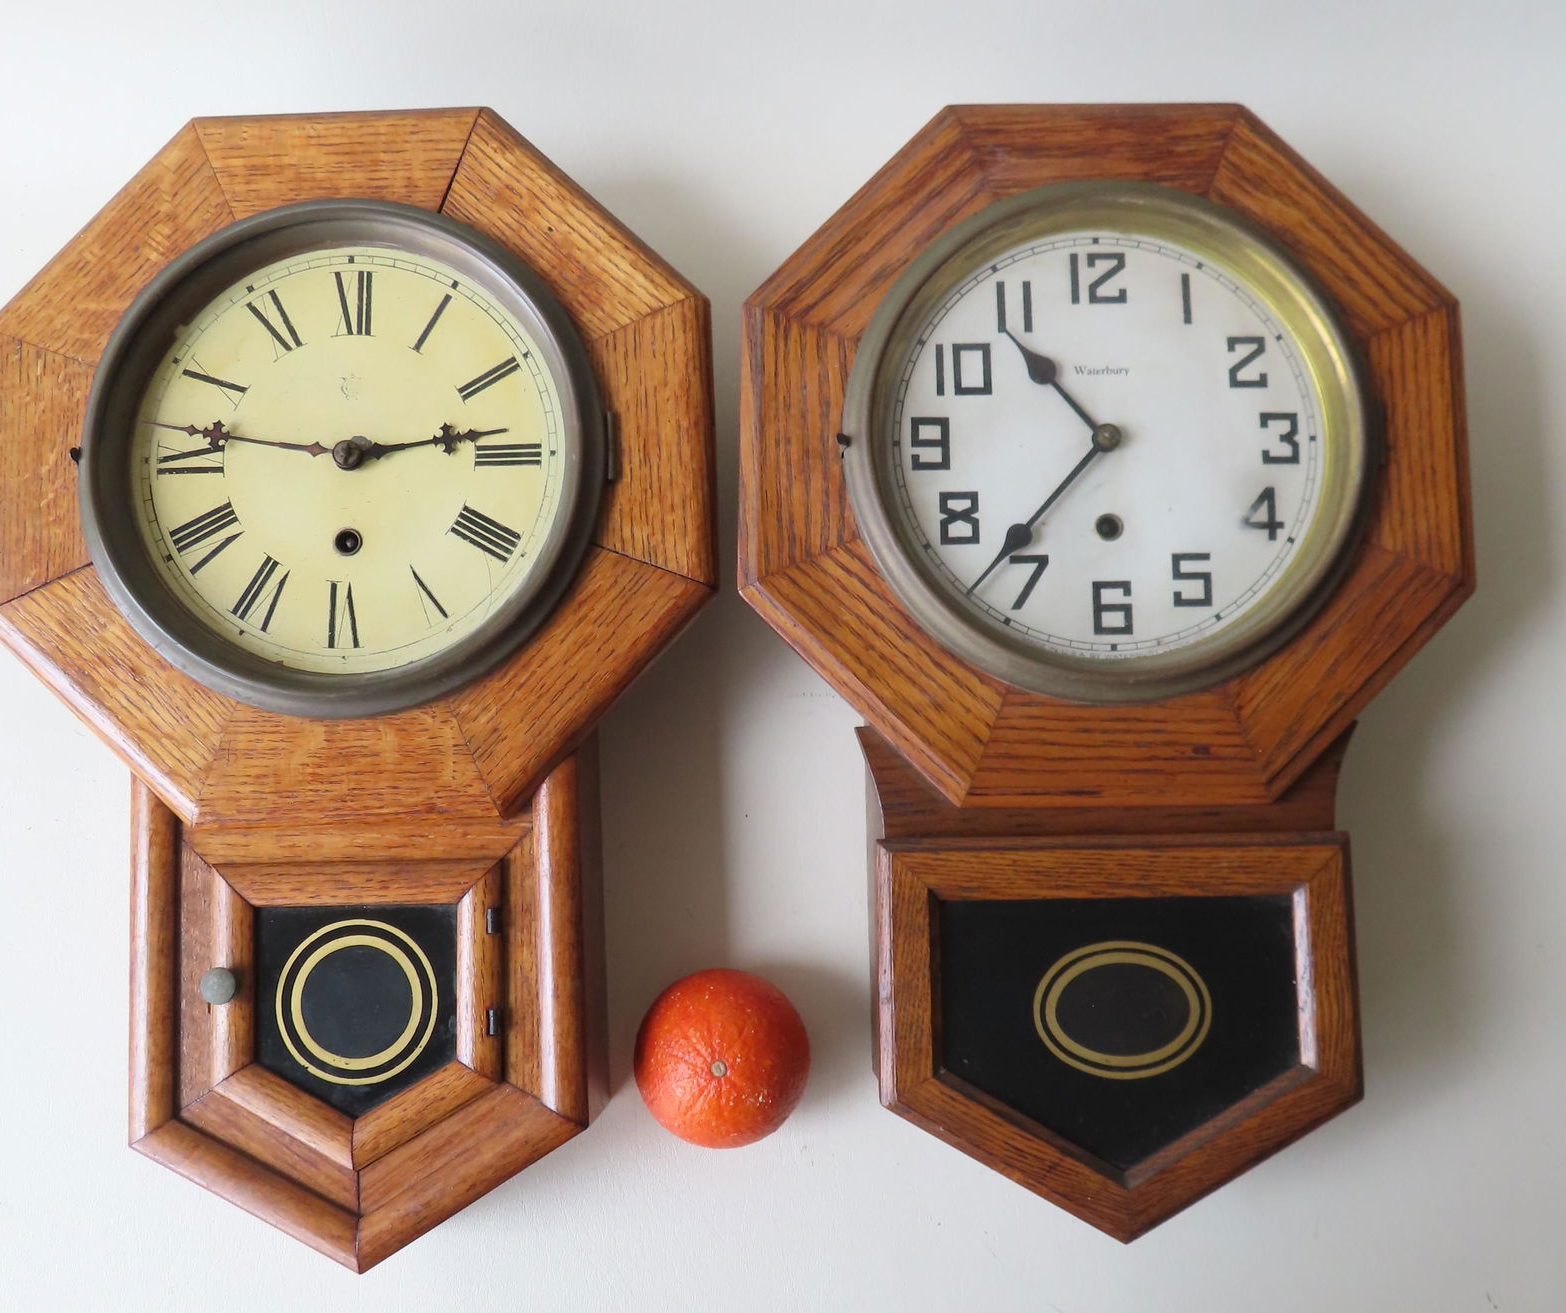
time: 10:36
